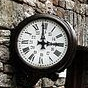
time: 2:59
